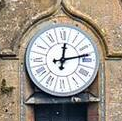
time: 12:13
